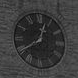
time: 12:39
